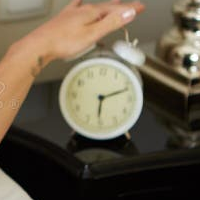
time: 6:11
